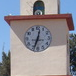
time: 12:33
